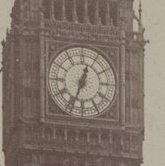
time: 12:33
